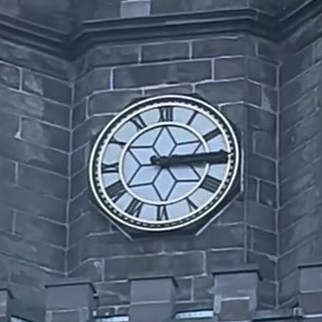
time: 3:14
